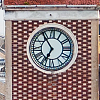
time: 6:54
